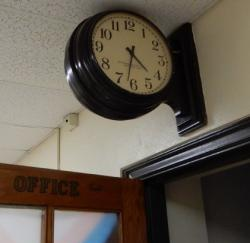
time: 4:32
